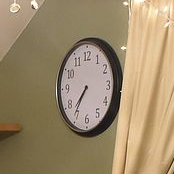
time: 7:36
